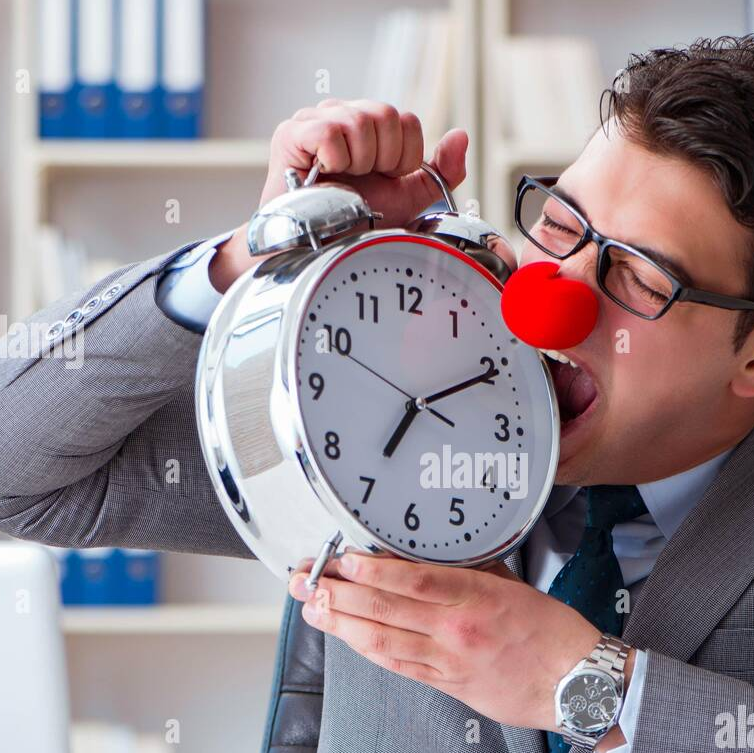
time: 7:10
